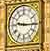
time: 9:15
